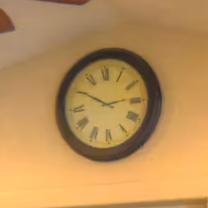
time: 2:50
